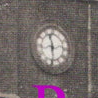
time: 11:29
